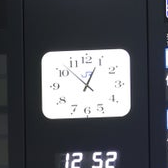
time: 12:52
